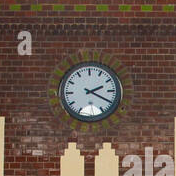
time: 2:20
